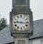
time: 9:17
